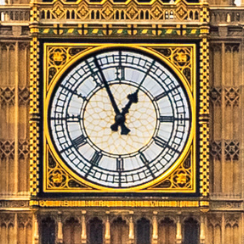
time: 12:56
